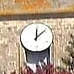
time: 12:07
